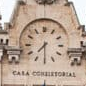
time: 7:30
